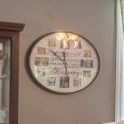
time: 10:28
